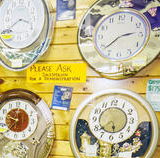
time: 2:38
